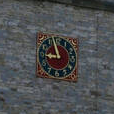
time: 8:57
